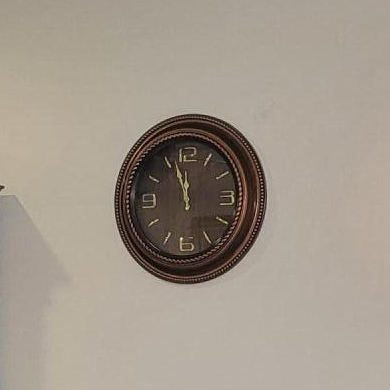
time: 11:56
